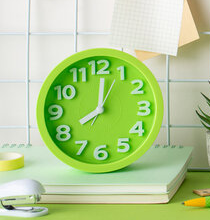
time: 8:00
